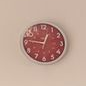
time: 12:46
